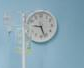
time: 9:26
